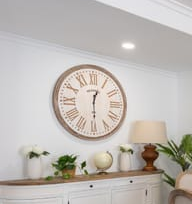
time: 12:29
